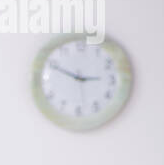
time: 2:48
